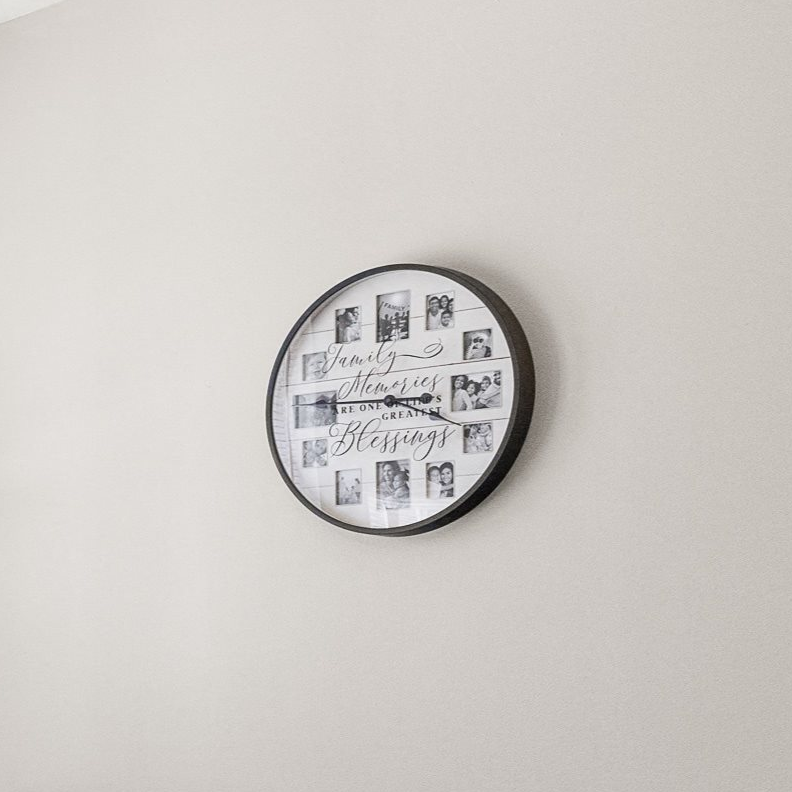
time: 3:45
